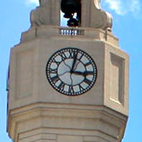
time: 3:02
